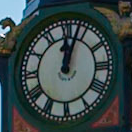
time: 12:03
